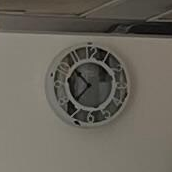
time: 10:37
